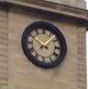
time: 10:07
